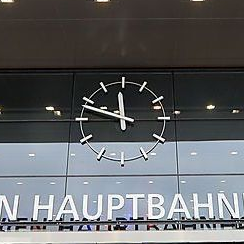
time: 11:48
